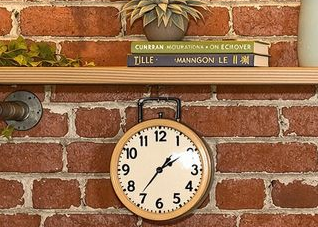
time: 1:36
